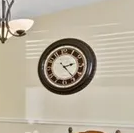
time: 2:23
